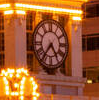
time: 4:36
